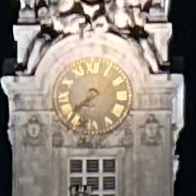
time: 7:37
